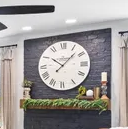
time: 10:07
